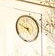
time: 4:48
